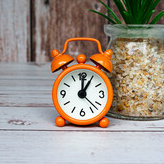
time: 12:05
